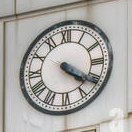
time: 4:20
